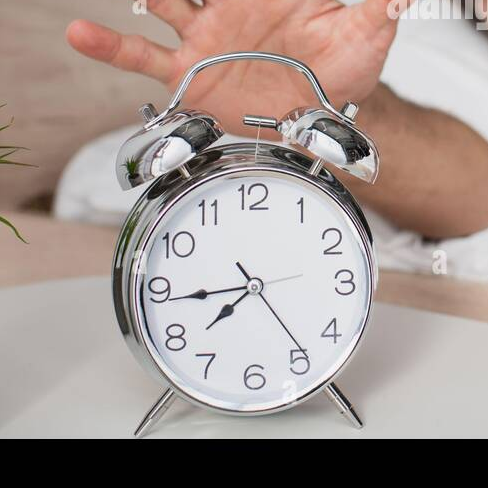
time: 7:44
